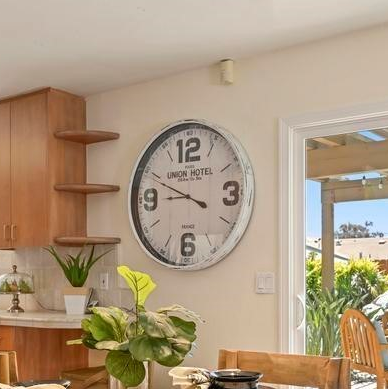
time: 8:49
